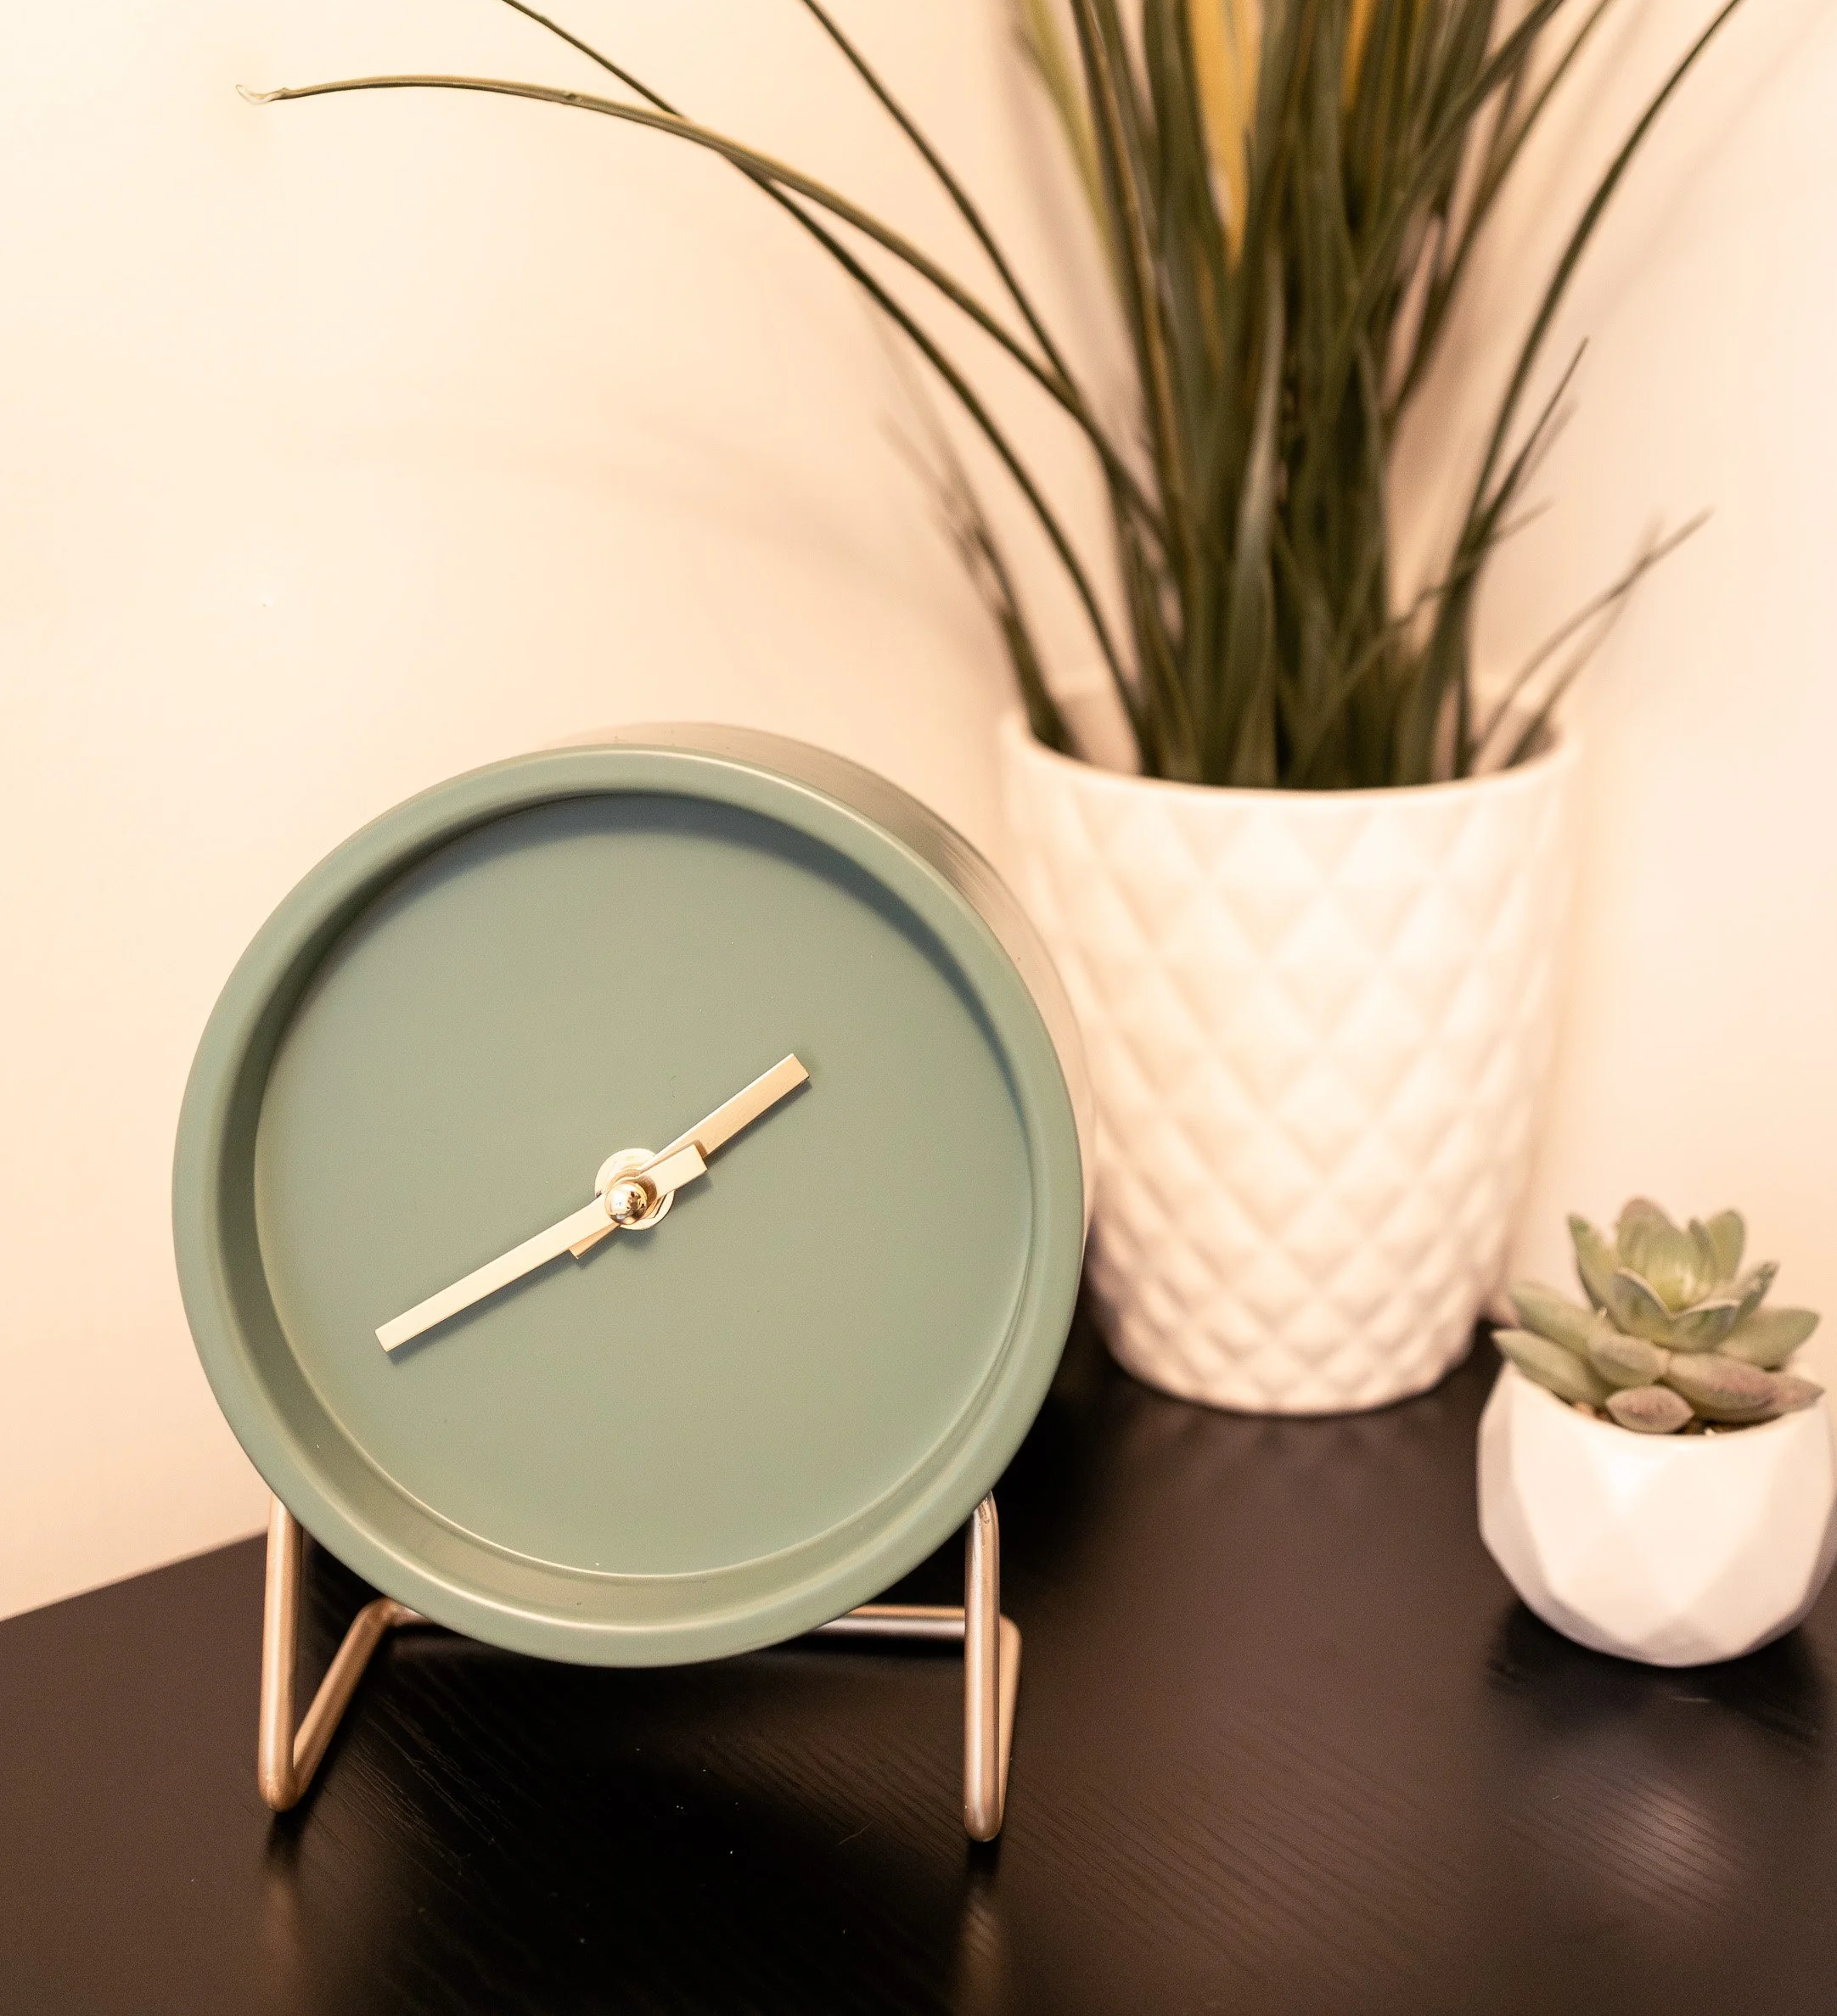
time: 1:39
